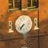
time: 7:36
